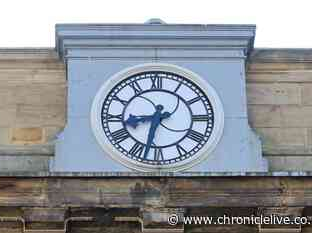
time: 8:32
